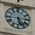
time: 5:26
